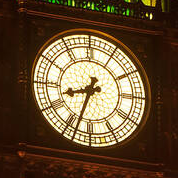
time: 8:33
